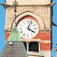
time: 4:03
